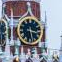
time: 3:28
